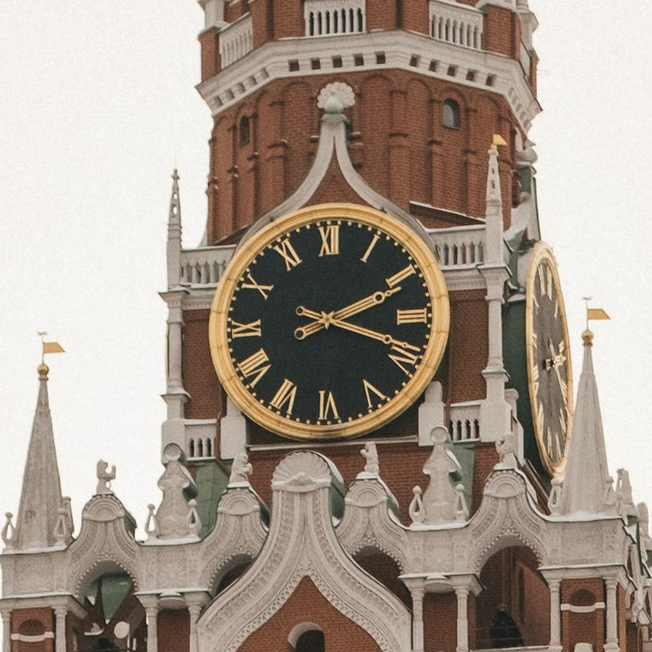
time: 2:18
